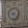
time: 8:32
